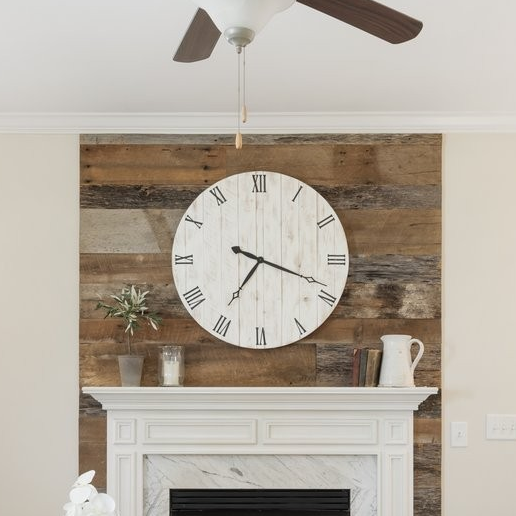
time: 7:18
